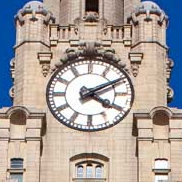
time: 4:10
